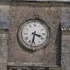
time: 3:32
